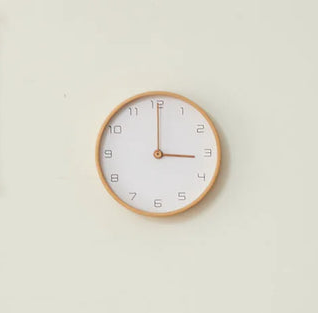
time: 3:00
